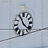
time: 11:22
